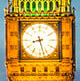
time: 8:27
